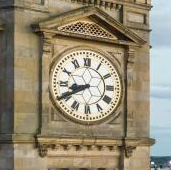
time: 8:40
